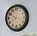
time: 7:49
